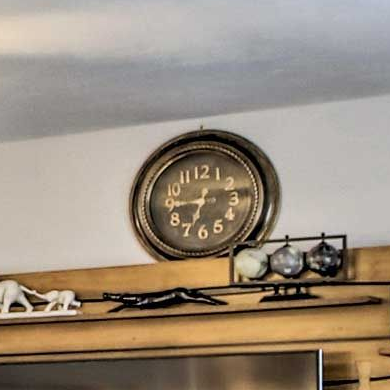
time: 6:44
